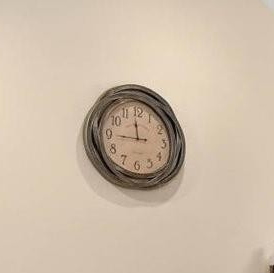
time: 11:44
